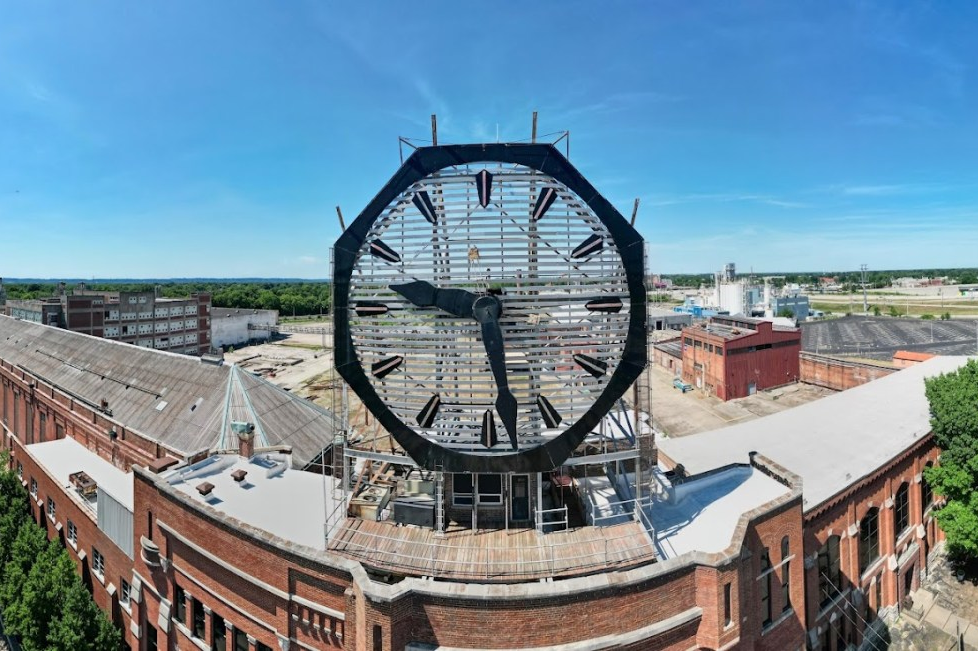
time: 9:28
